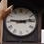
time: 9:13
